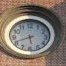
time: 5:41
